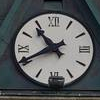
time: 10:40
